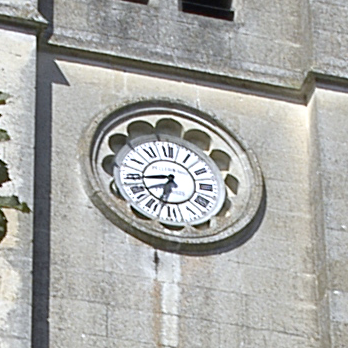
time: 8:32
